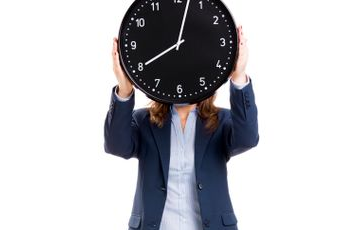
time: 8:02
